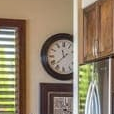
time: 11:37
